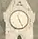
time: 11:25
